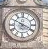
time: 3:50
